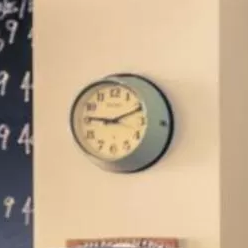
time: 9:11
